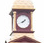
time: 1:41
